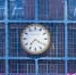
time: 7:20
